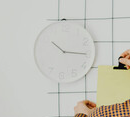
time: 10:15
